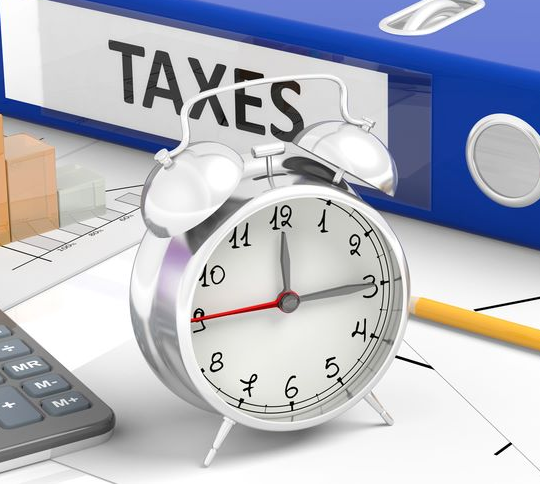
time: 12:14
